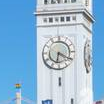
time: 6:19
